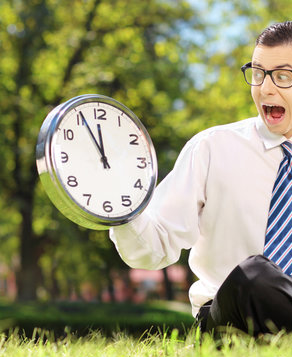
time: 11:55
